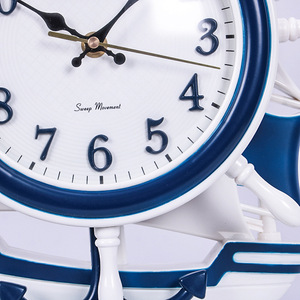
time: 10:07
